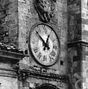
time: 12:52
